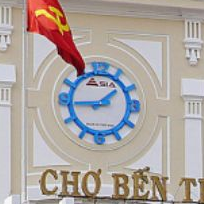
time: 1:44
